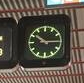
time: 10:14
